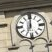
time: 7:00
